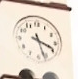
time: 5:18
